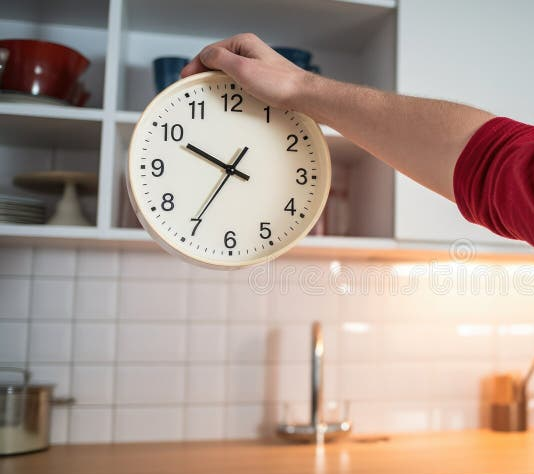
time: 9:35
